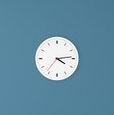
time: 4:13
